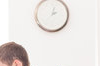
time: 12:37
